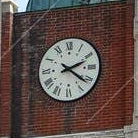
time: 2:21
